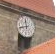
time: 11:41
